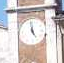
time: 4:59
